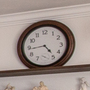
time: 4:43
